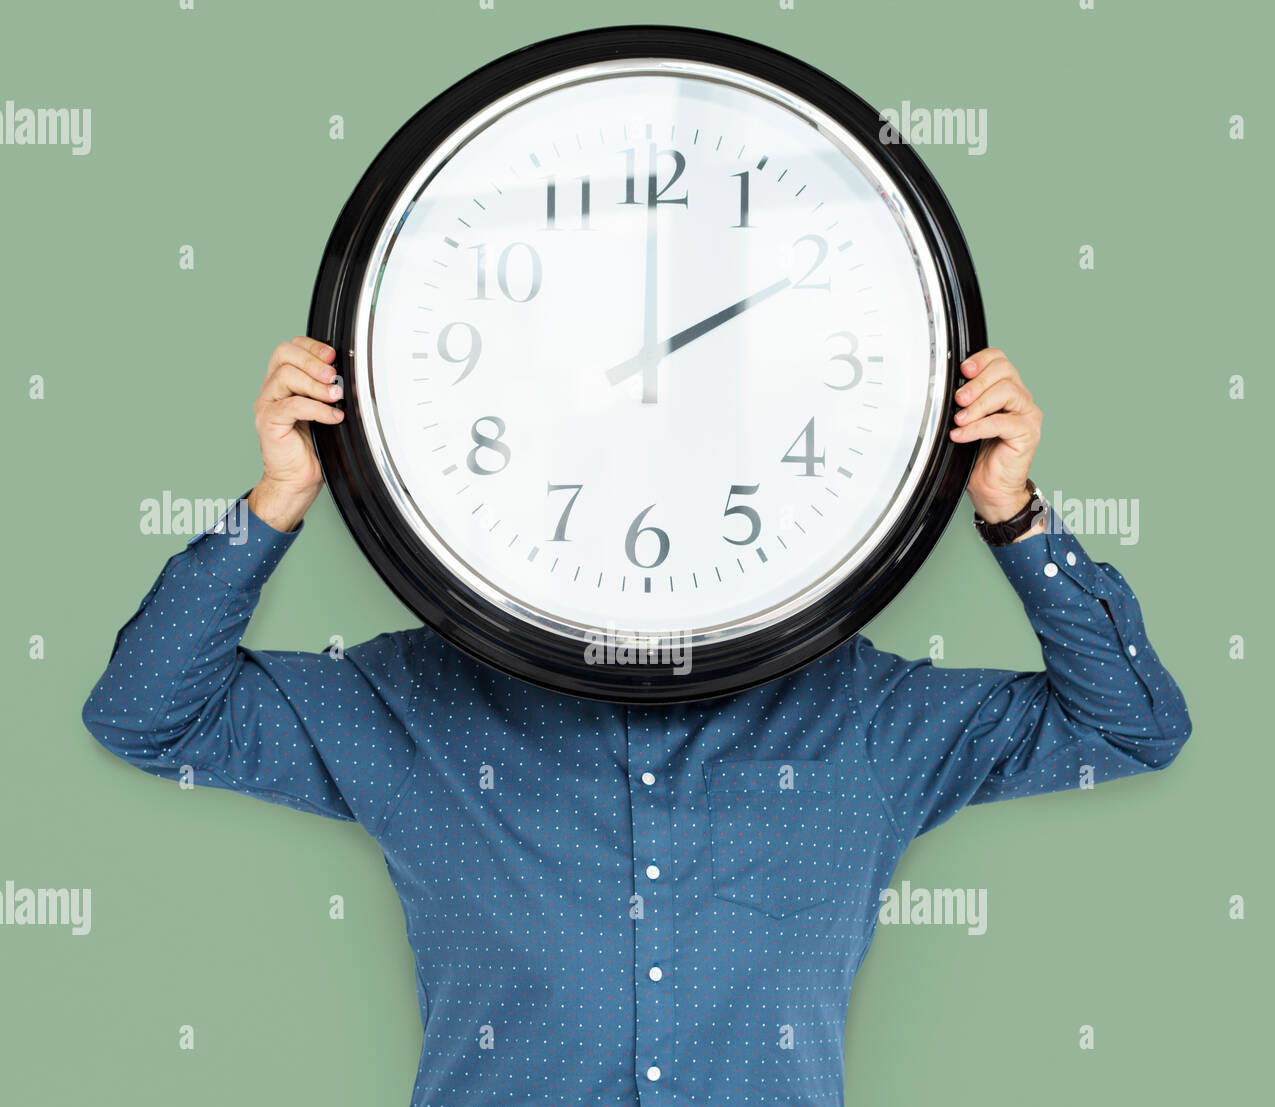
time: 2:00
